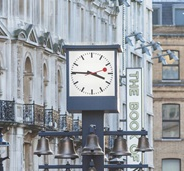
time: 3:45
